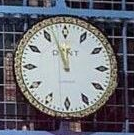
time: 11:56
